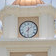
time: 7:30
